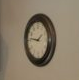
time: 1:46
